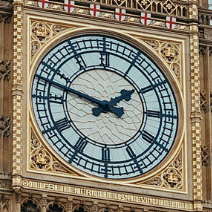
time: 1:47
